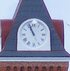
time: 10:56
